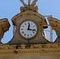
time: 12:16
